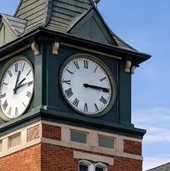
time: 3:14
